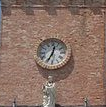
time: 12:34
